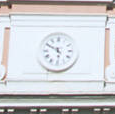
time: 5:50
